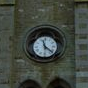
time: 11:21
